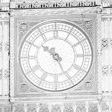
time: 10:25
